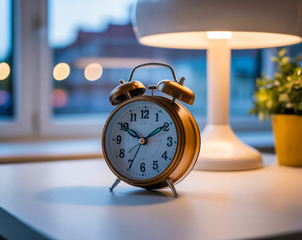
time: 10:09
